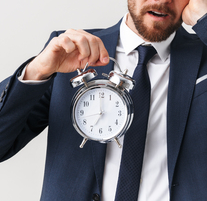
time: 7:00
